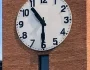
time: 10:30
